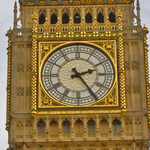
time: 2:24
